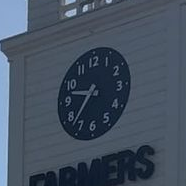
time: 9:37
